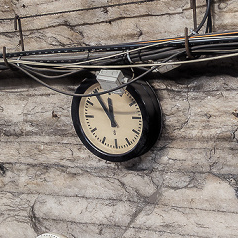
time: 11:54
